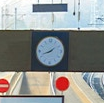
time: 1:42
